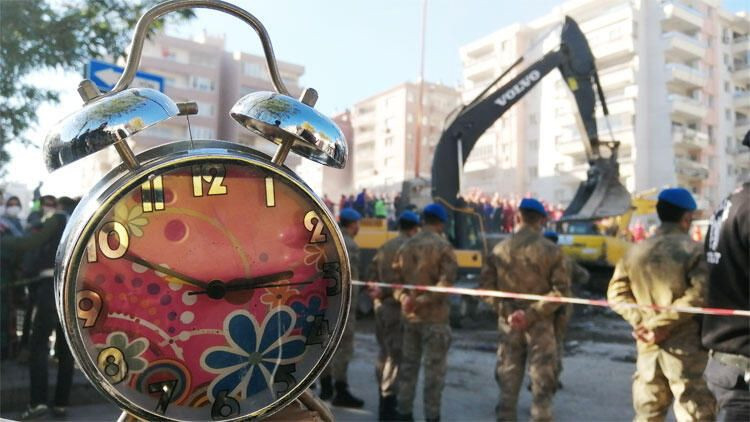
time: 2:49
